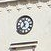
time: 11:37
